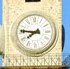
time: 7:46
